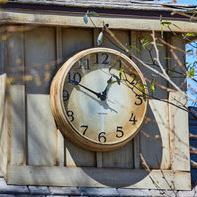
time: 12:49
